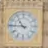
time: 10:45
